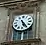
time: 5:24
